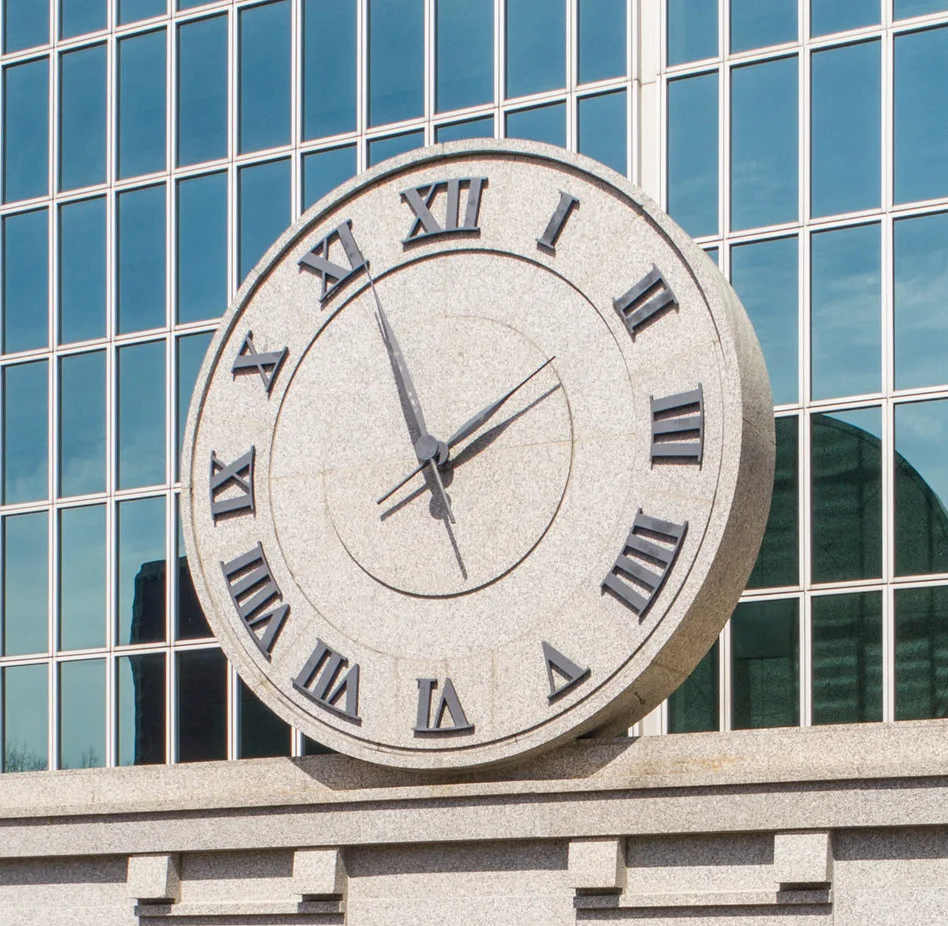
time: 1:56
